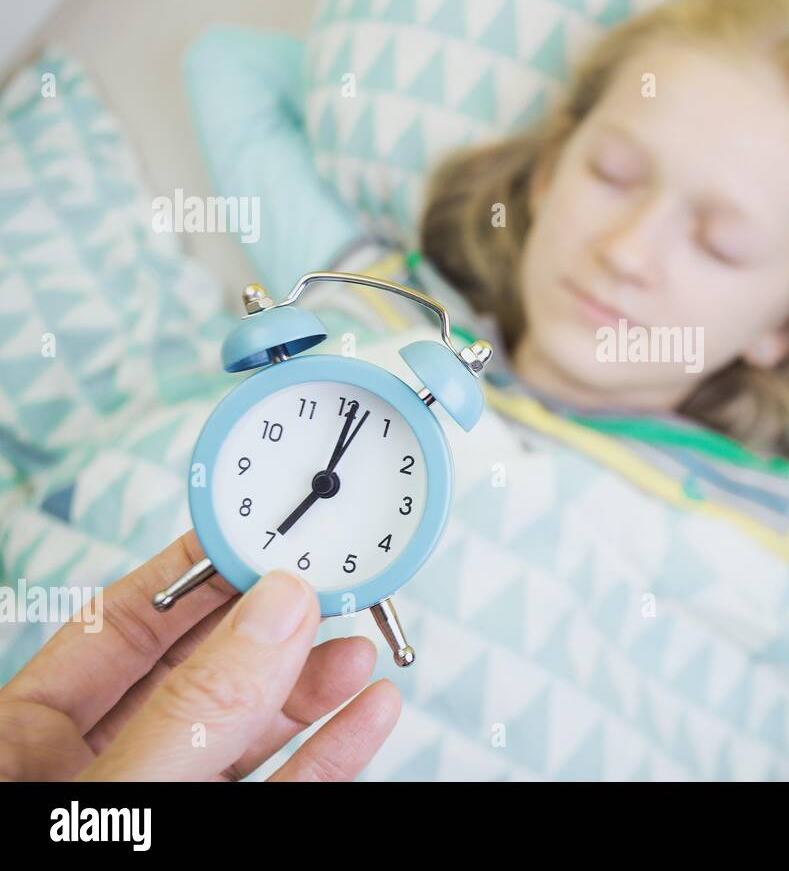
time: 7:01
